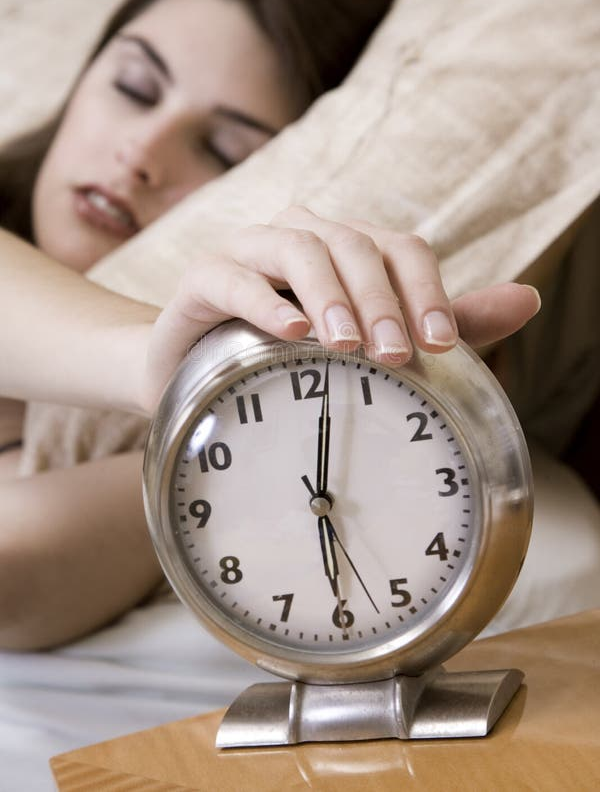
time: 6:02
